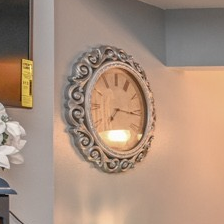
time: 7:15
